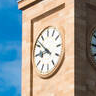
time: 8:51
